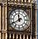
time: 11:40
